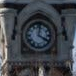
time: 4:01
